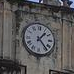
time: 1:23
